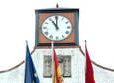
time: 10:59
